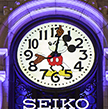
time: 8:01
